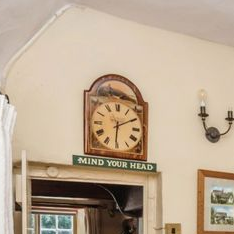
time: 6:10
